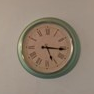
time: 5:15
